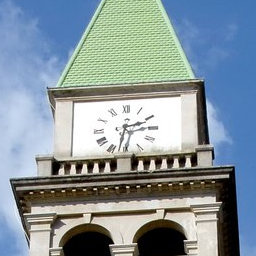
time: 2:32
